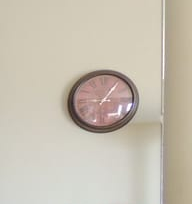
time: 1:06
